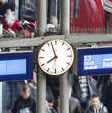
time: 7:57
